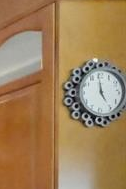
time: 4:59
